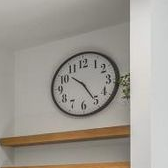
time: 10:24
